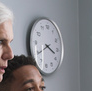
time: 3:40
